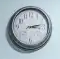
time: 3:13
